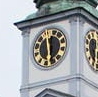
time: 11:28
